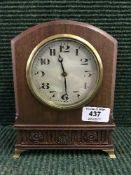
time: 11:29
